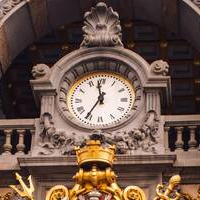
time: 11:35
